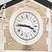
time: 3:45
